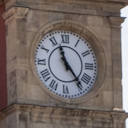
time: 11:23
